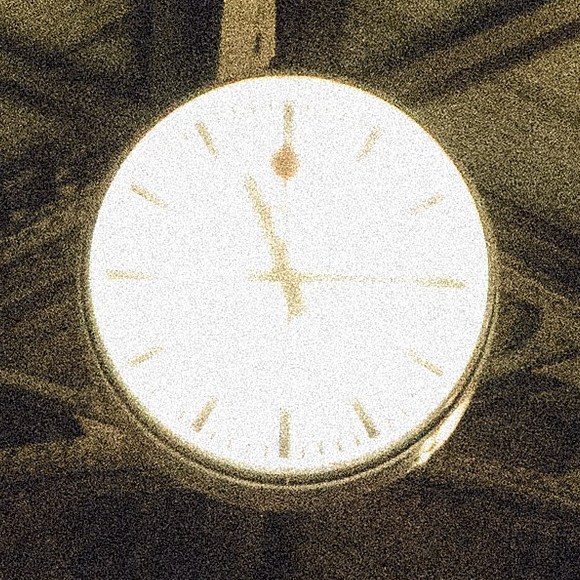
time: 11:14
